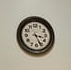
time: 3:26
